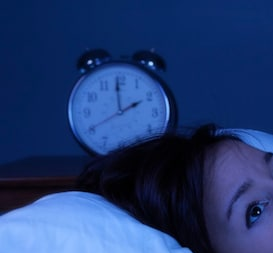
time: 1:59
